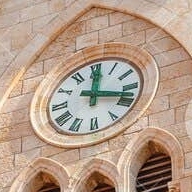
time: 12:17
